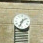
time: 1:33
